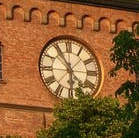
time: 5:54
